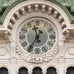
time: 11:35
